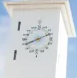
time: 8:11
